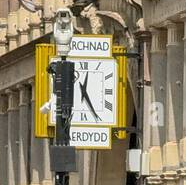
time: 12:25
